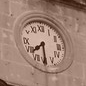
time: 7:29
